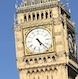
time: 5:23
